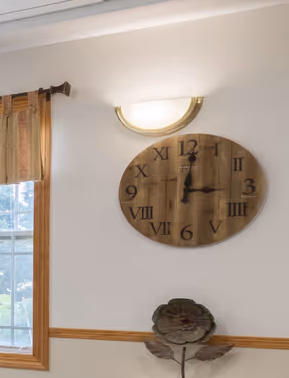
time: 3:01
